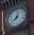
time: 8:03
